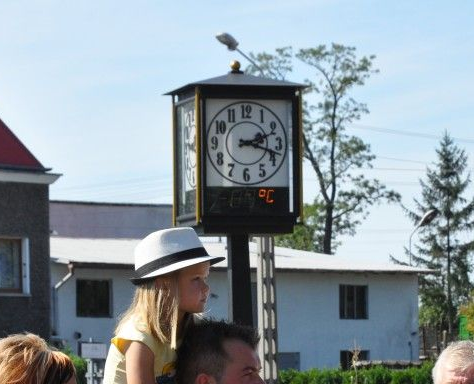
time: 2:18
